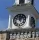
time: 12:07
